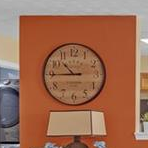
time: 10:45
